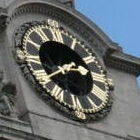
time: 2:39
